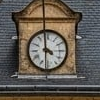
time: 3:58
